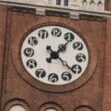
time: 1:21
